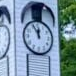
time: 11:55
